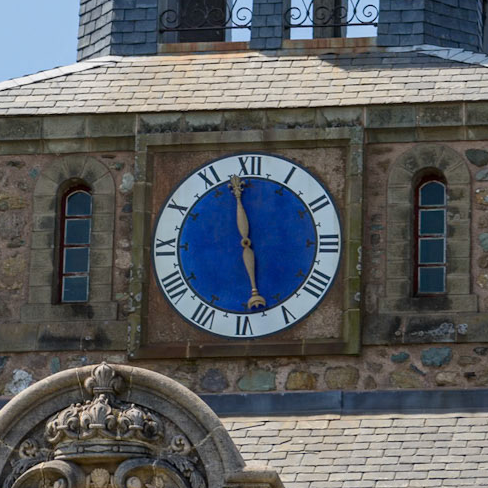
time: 5:58
